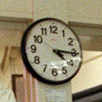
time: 4:15
